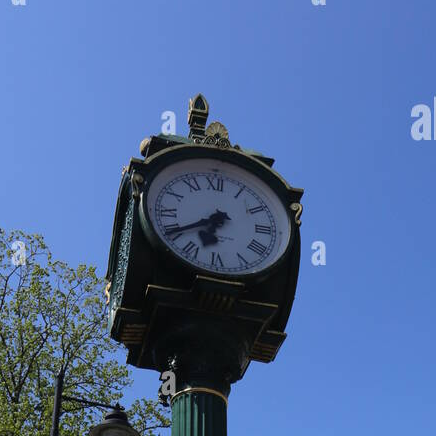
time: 6:39
